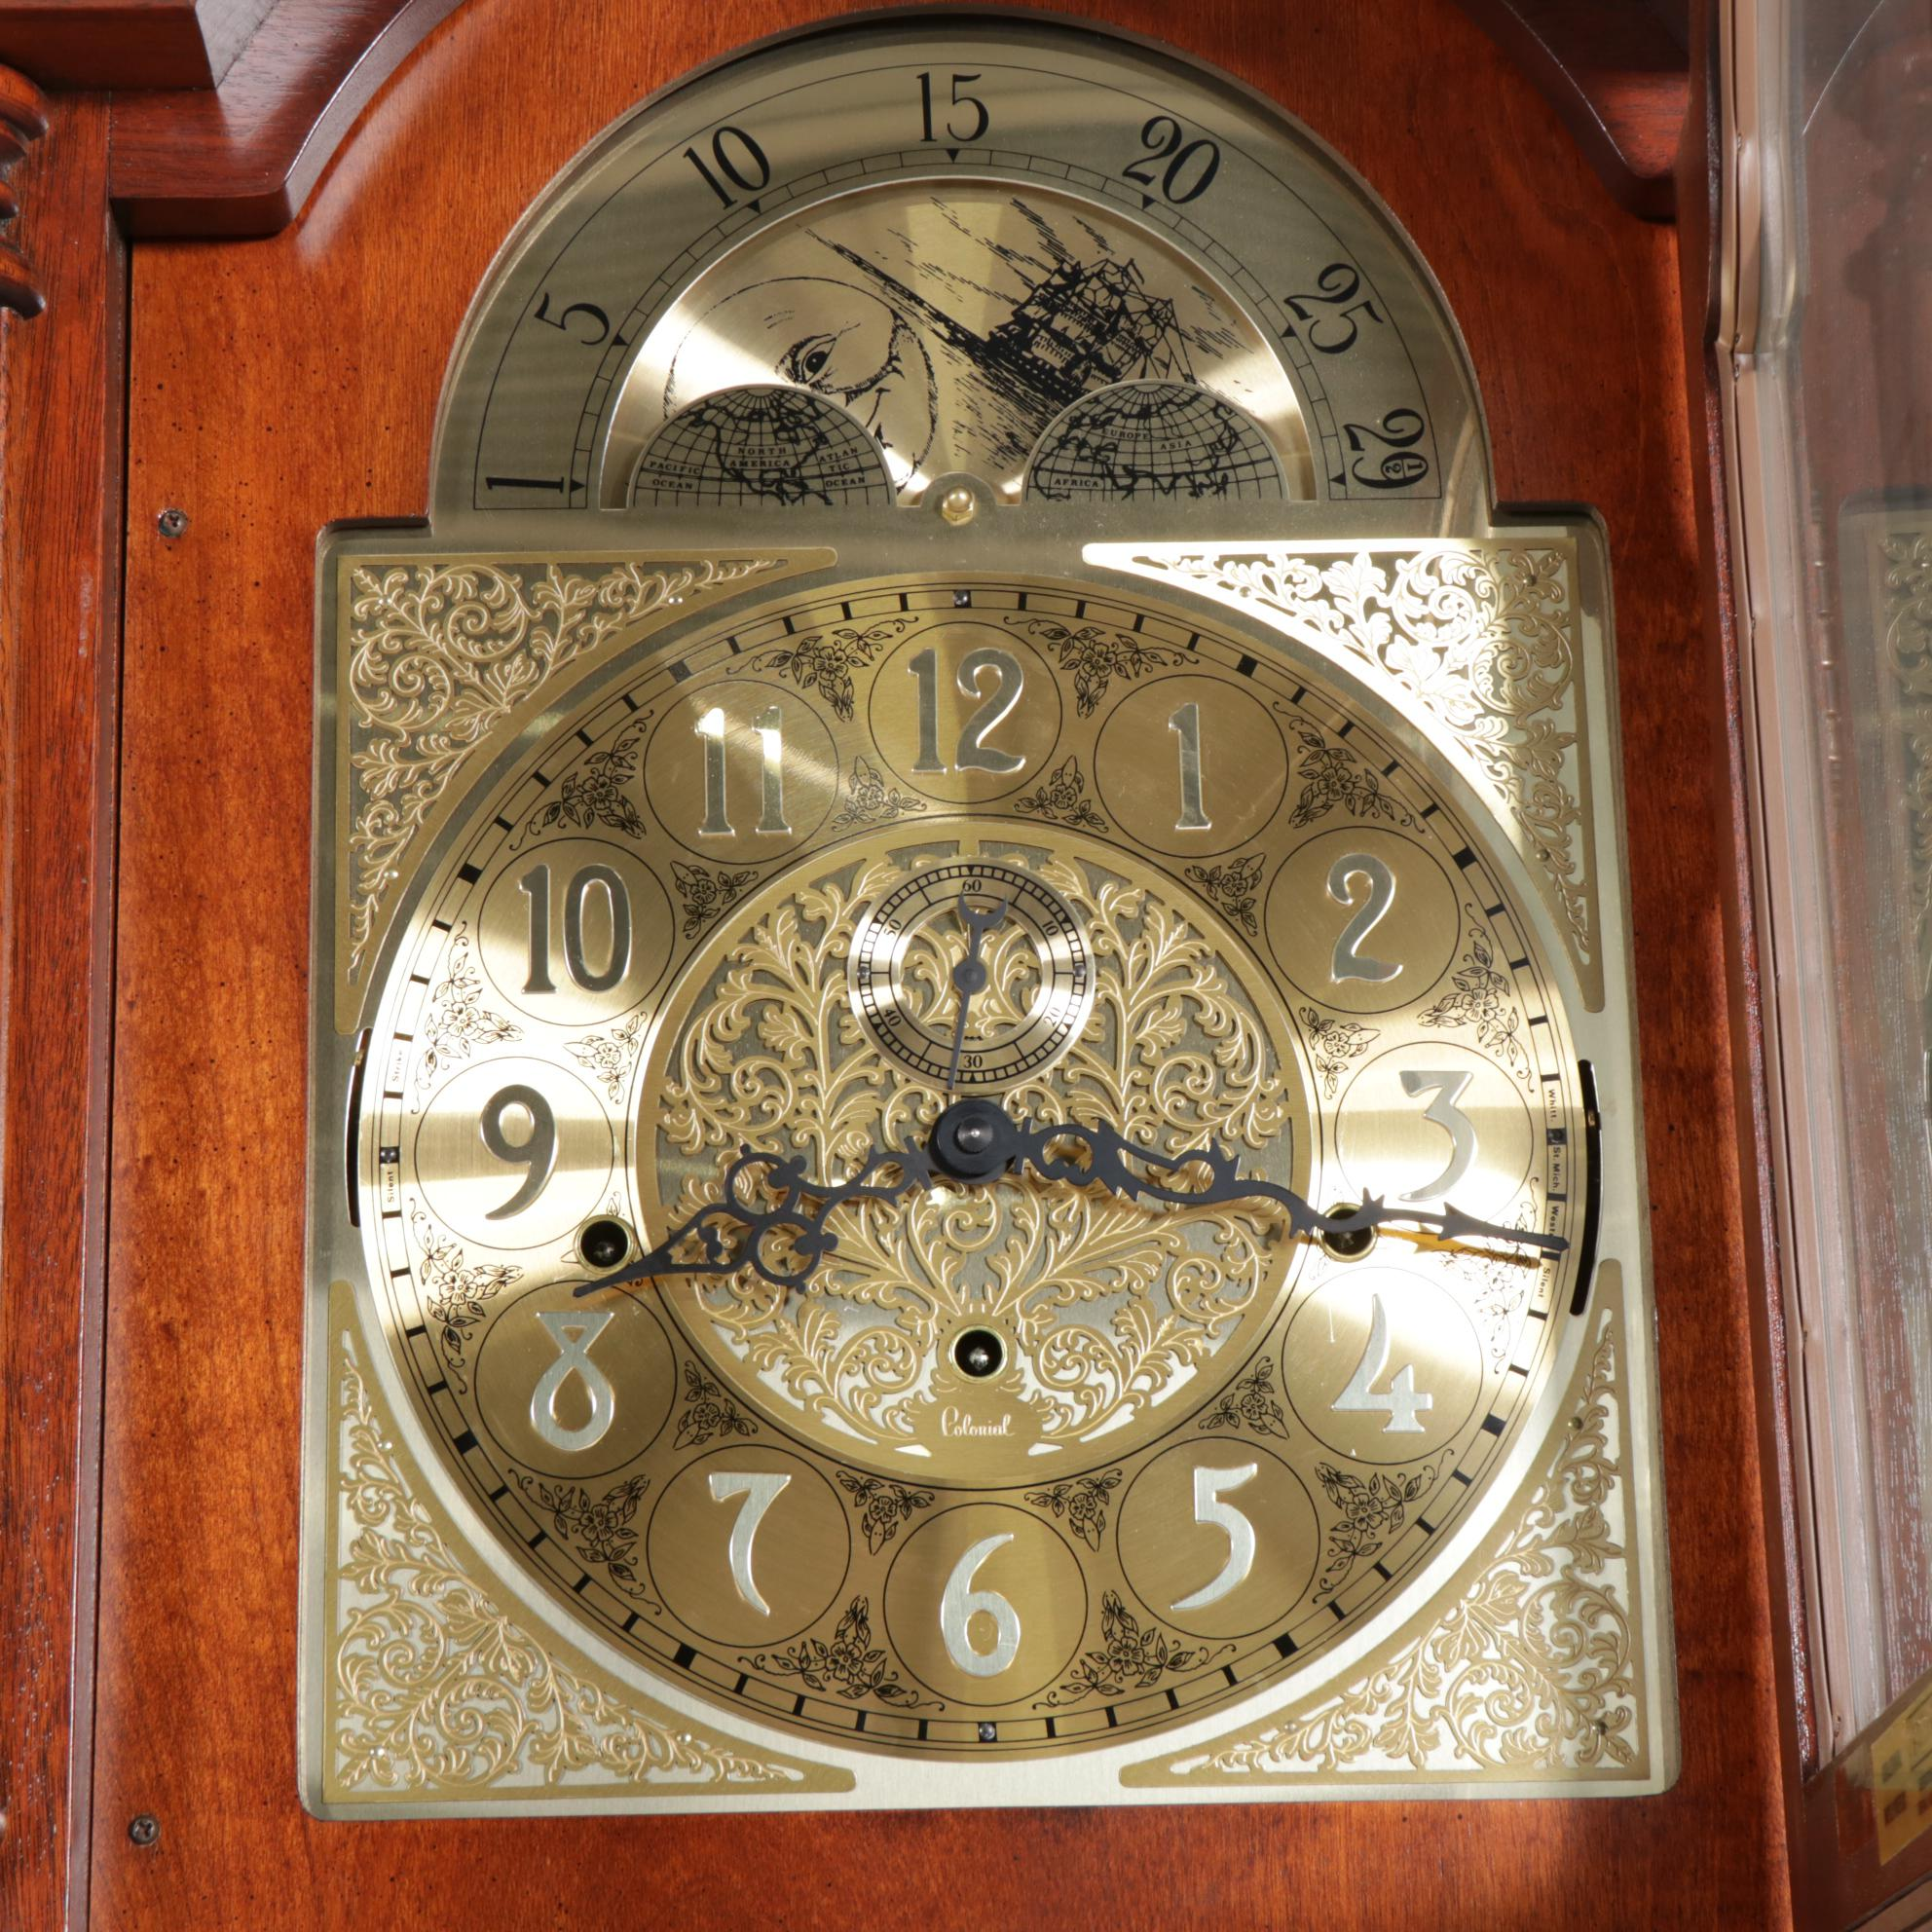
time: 8:15
